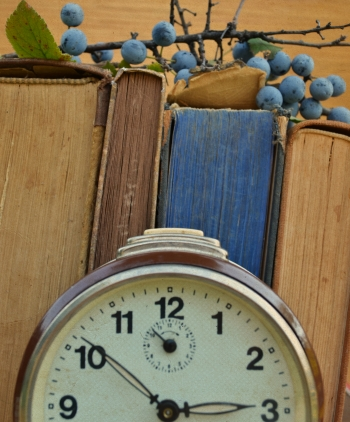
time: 2:51
